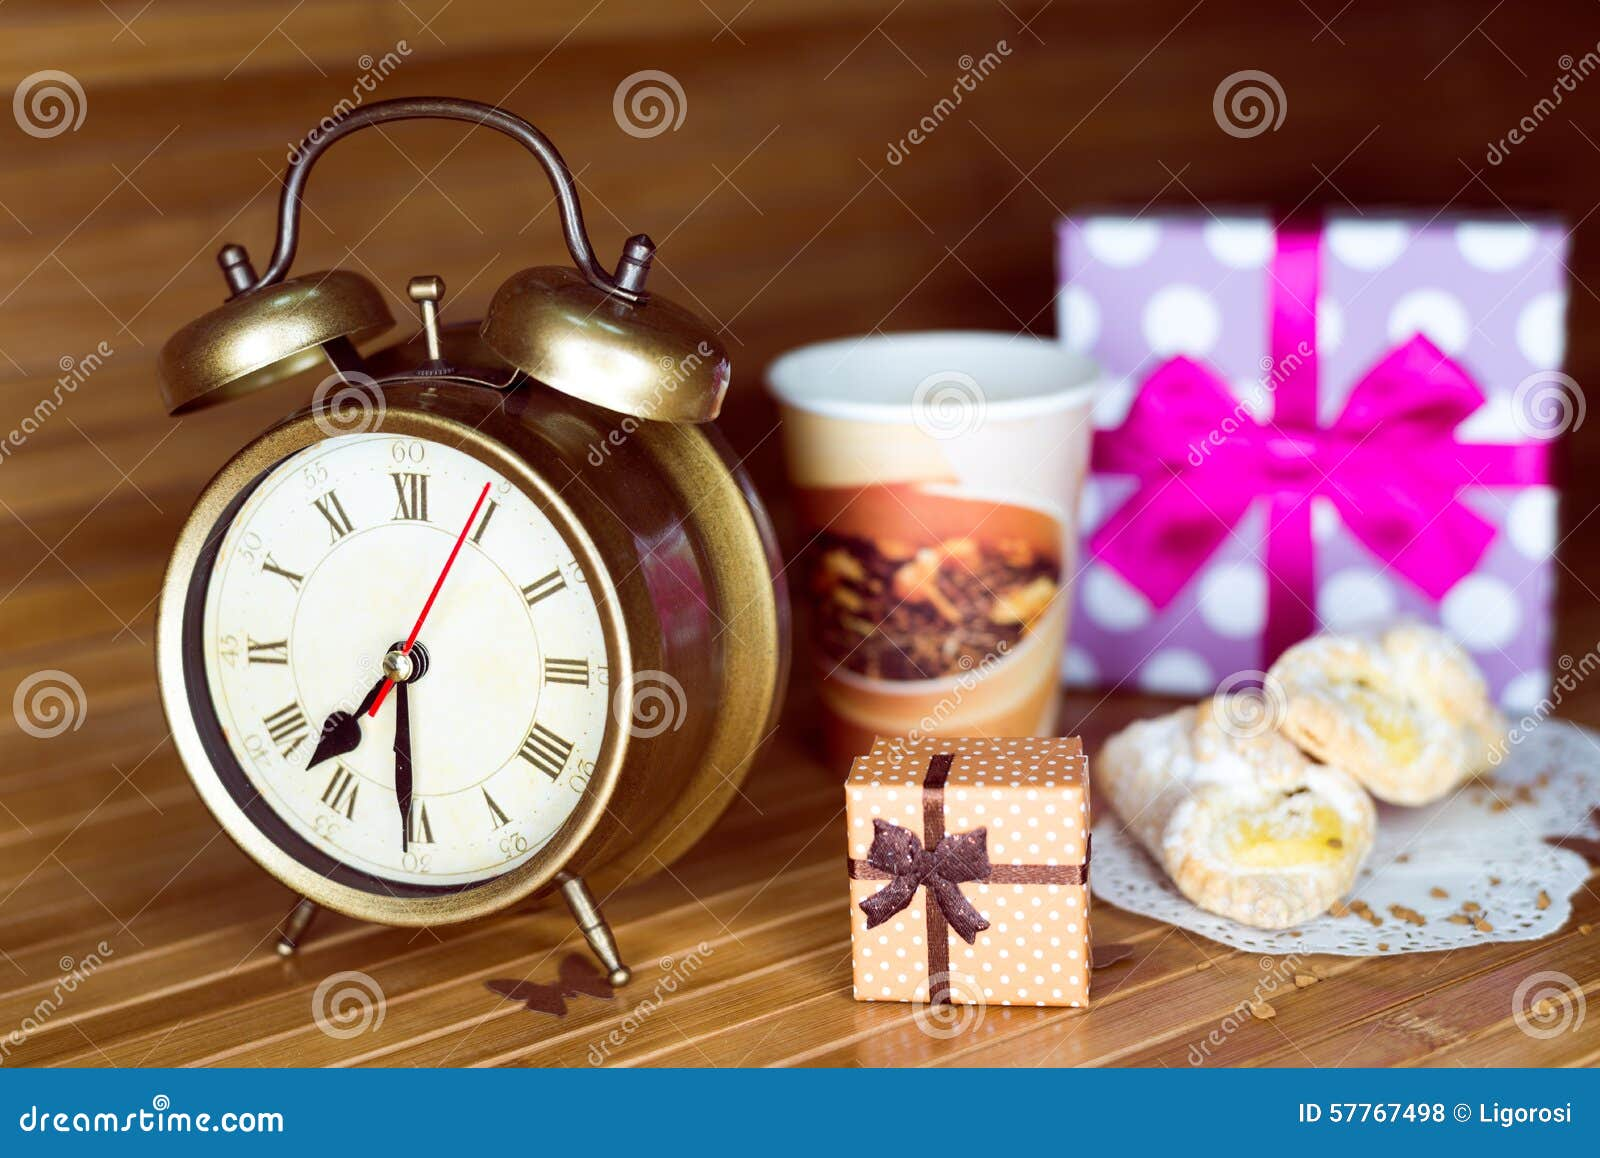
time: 7:30
